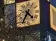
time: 4:35
